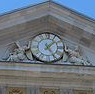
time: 1:24
